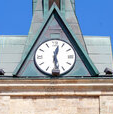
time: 12:28
